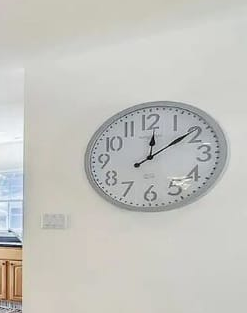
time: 12:09
